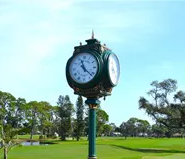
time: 11:22
